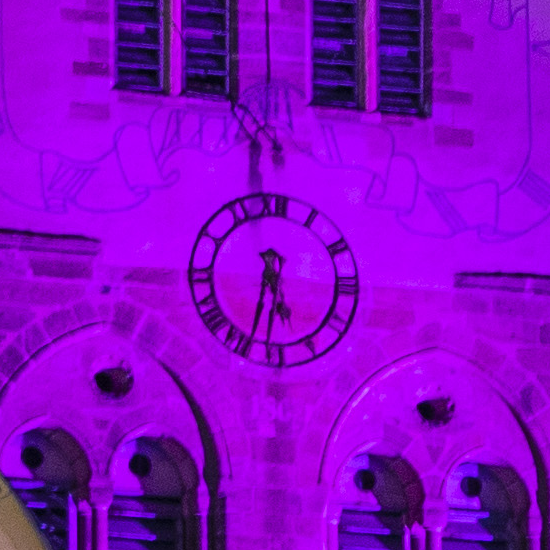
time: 5:32
